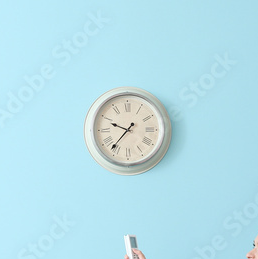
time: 9:36
